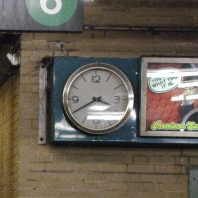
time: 3:40
